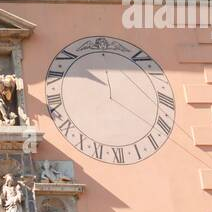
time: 9:45
